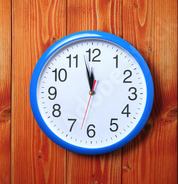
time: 11:57
